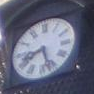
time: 8:26
